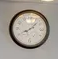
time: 8:07
